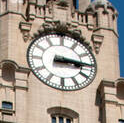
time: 3:14
